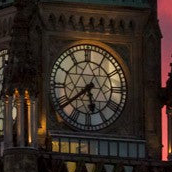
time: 5:38
